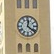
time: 12:21
